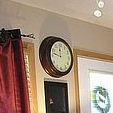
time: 11:46
